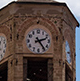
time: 2:24
